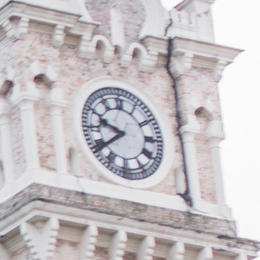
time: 9:39
